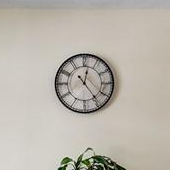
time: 12:23
